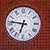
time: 6:46
